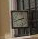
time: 2:42
